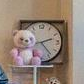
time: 2:23
